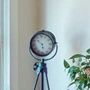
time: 5:51
